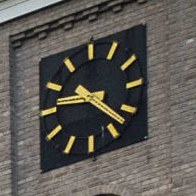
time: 9:22
